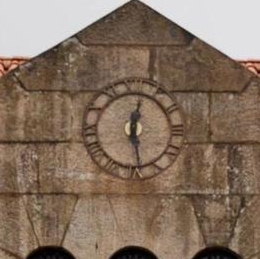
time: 12:28
